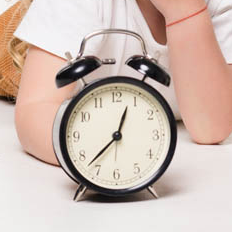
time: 12:37
